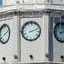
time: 2:11
